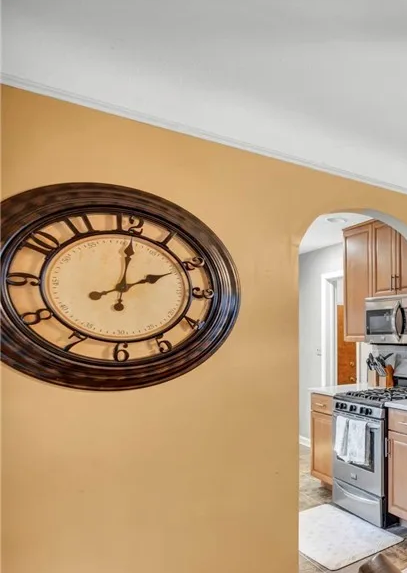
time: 2:01
